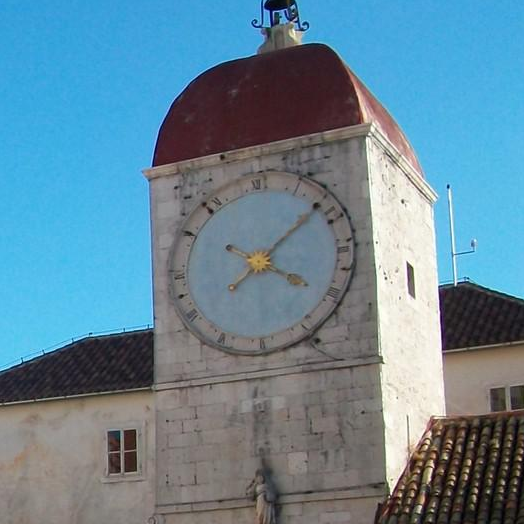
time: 4:08
